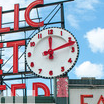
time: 12:12
